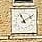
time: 11:09
